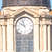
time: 9:57
